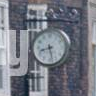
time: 8:27
